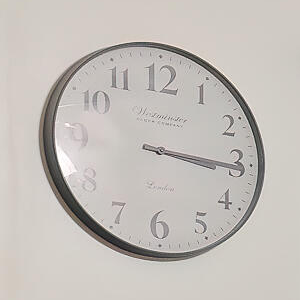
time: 3:15
